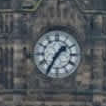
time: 1:35
